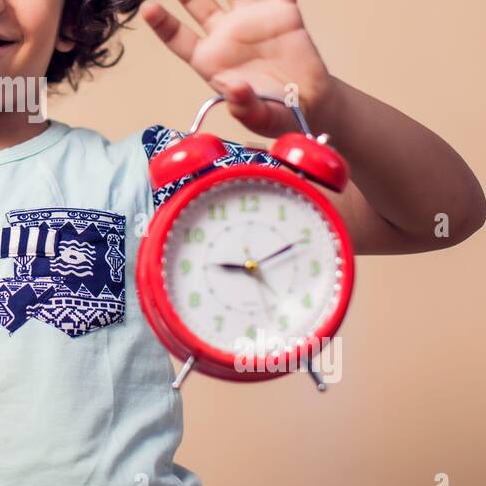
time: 9:10
